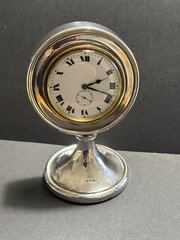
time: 2:18
